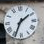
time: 1:34
